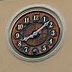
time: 8:07
